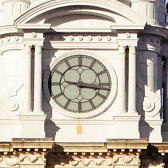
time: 9:16
